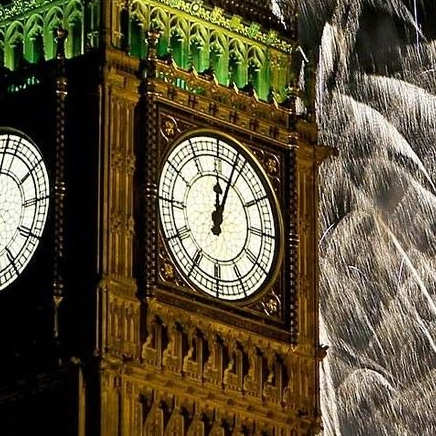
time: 12:03
